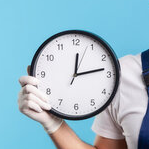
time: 12:13
